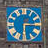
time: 6:15
